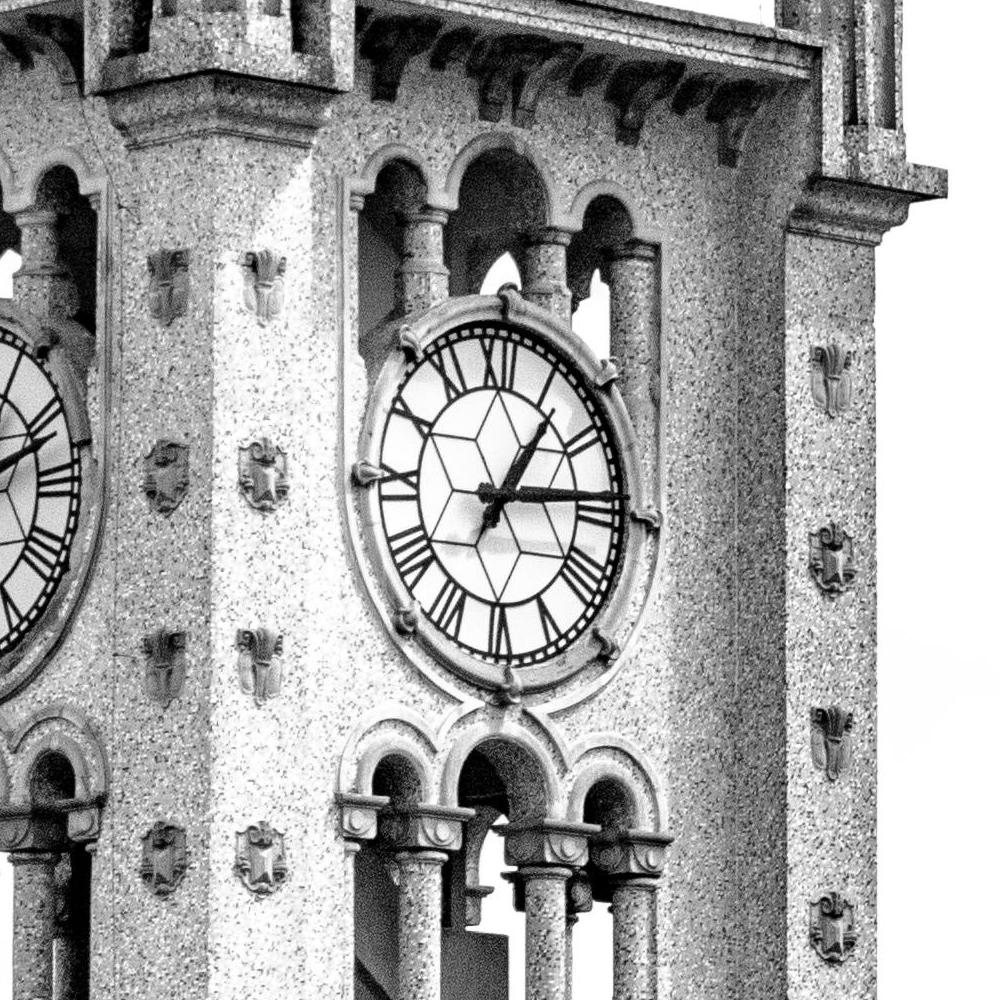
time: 1:13
